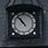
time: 10:53
